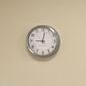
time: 9:01
